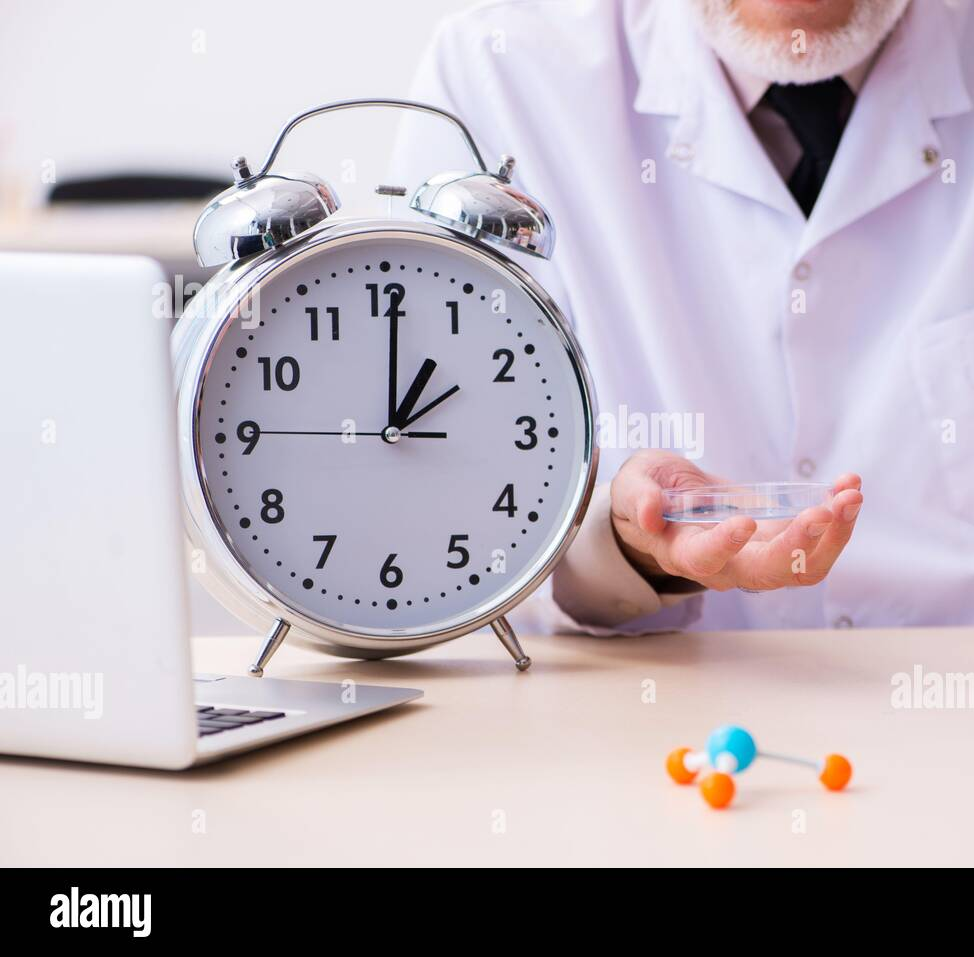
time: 1:00
